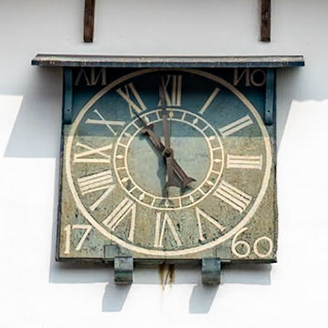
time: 4:53
